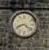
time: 8:21
